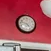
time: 4:47
